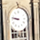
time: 8:47
